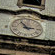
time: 2:54
